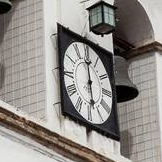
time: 5:59
